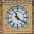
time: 11:20
